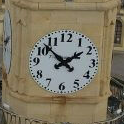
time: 1:52
